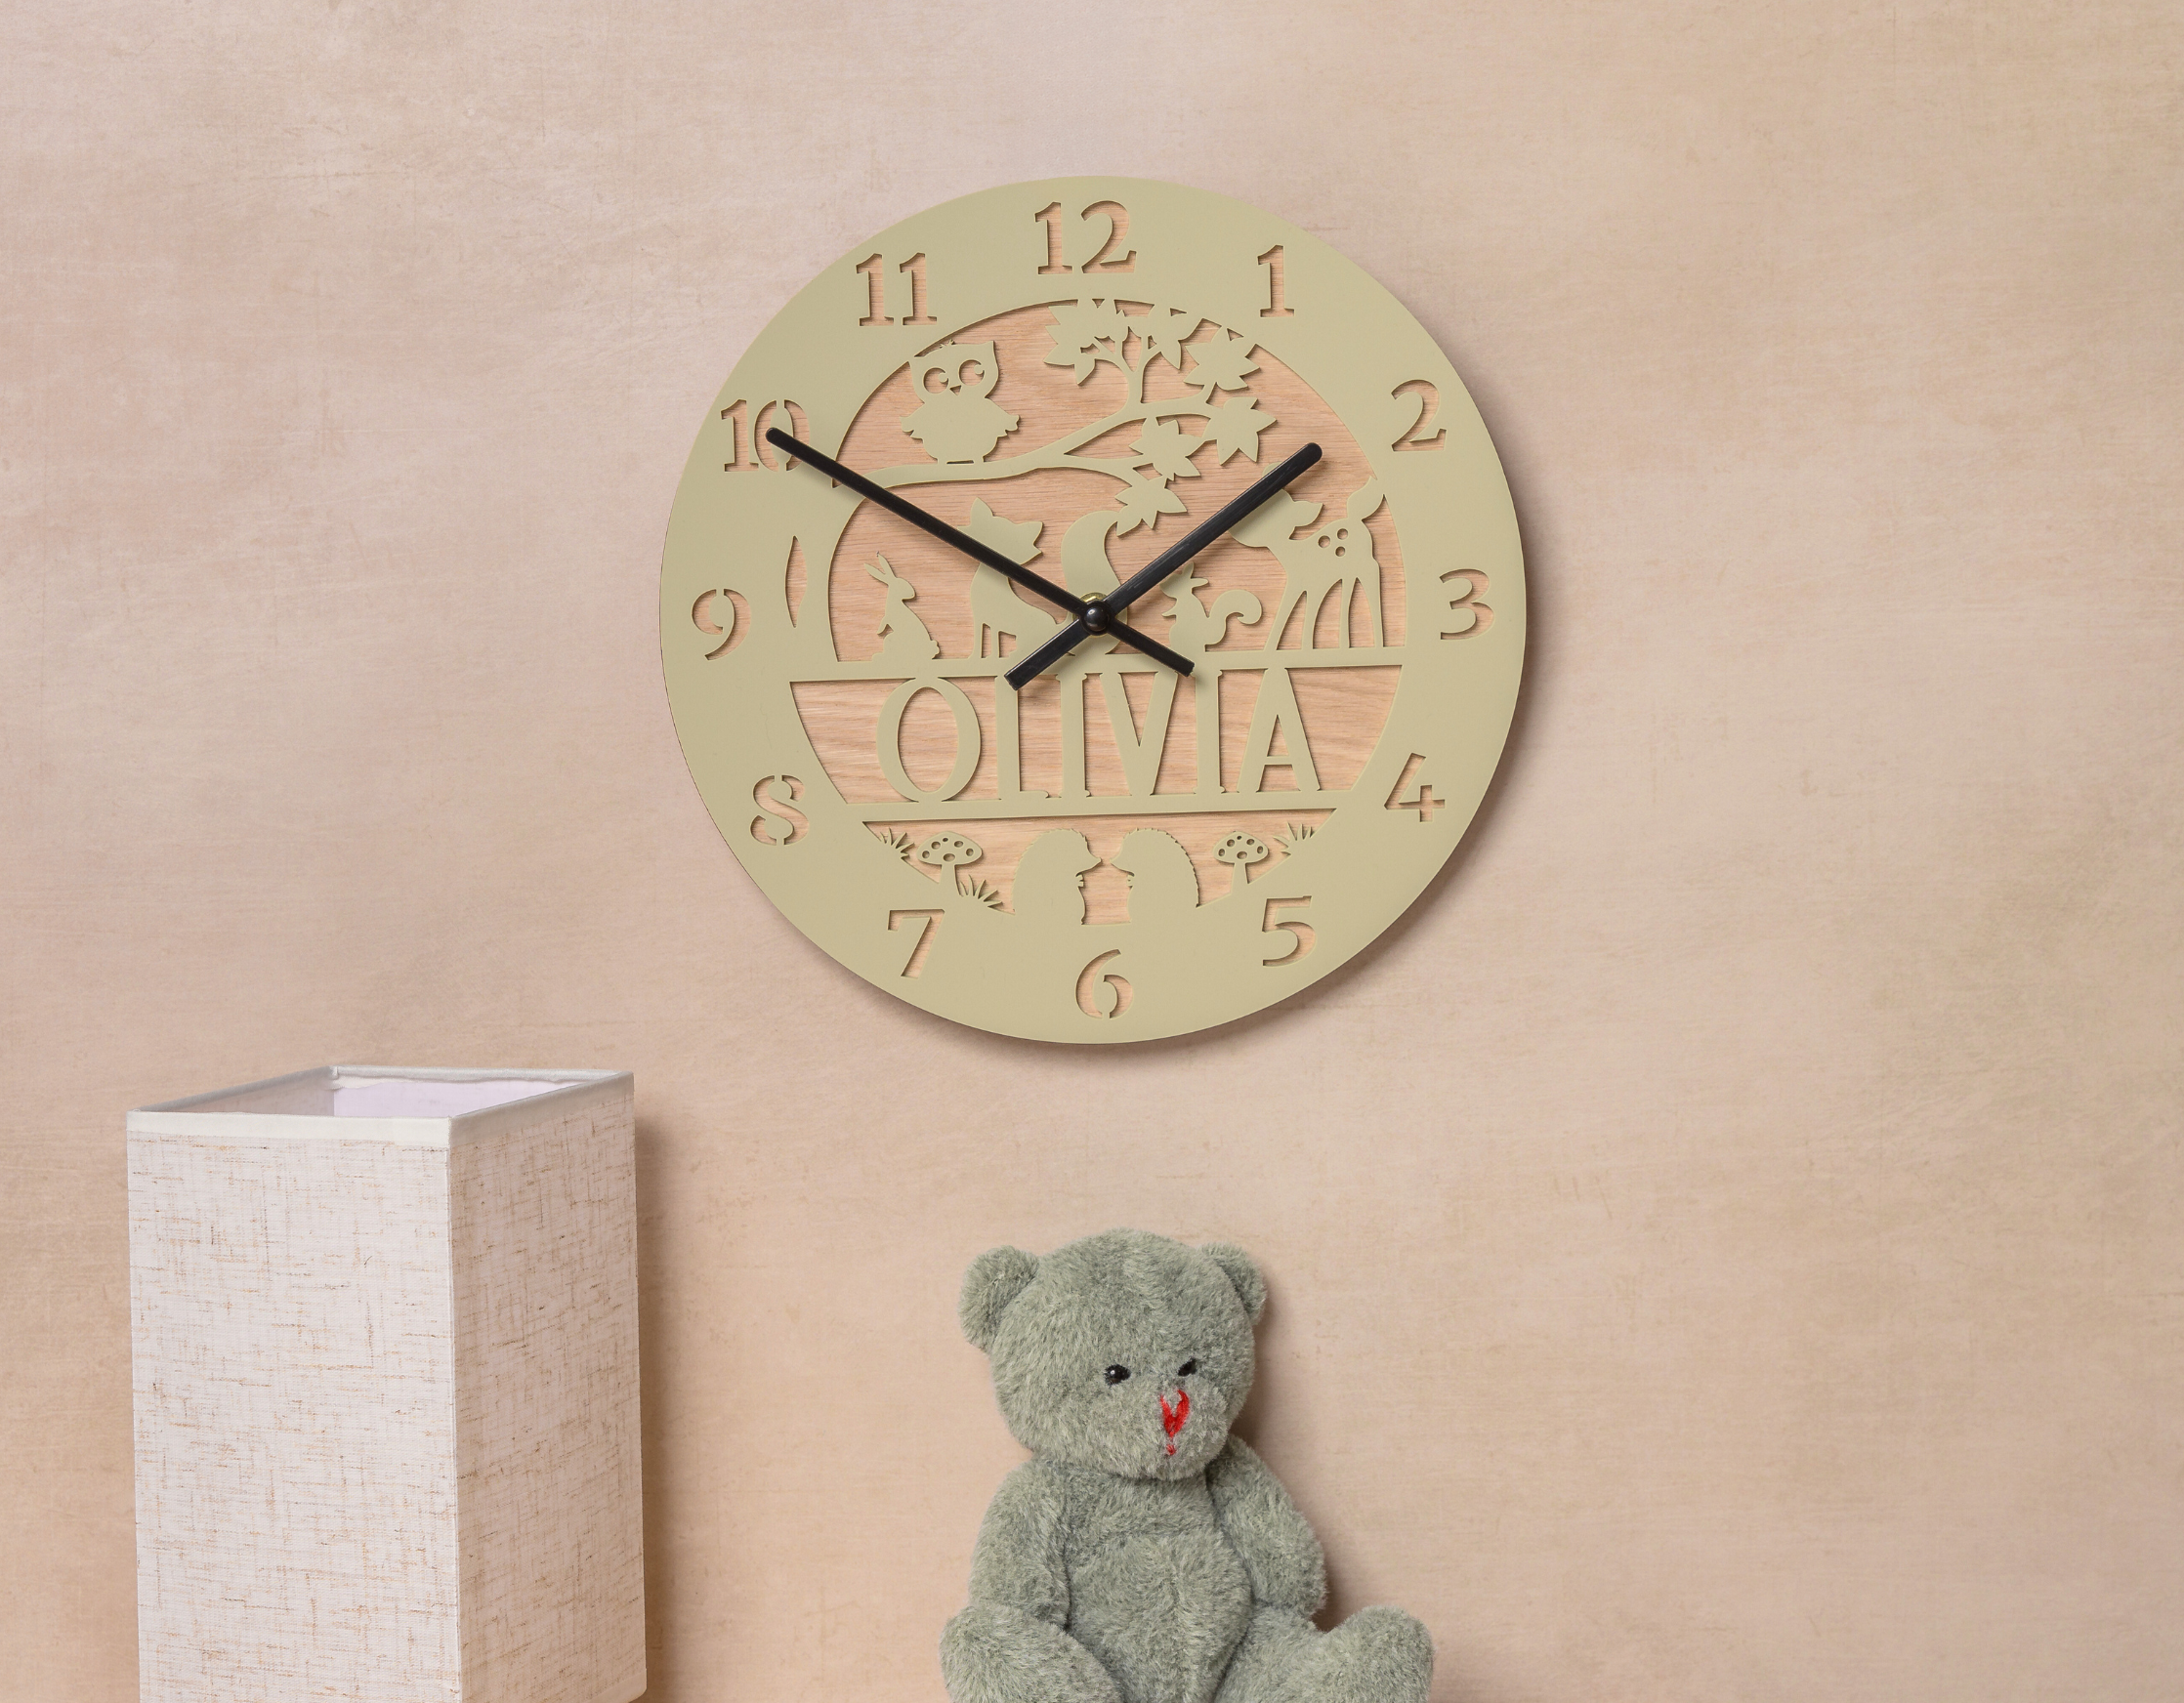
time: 1:50
